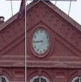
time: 8:44
